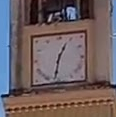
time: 12:31
